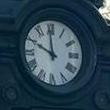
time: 9:59
